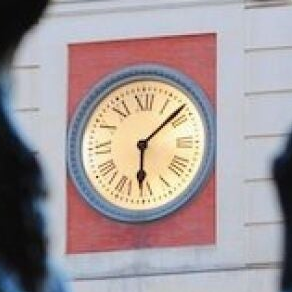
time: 6:08
